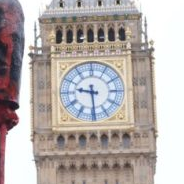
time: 9:29
